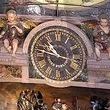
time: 10:47
